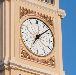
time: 7:08
